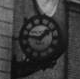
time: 1:46
